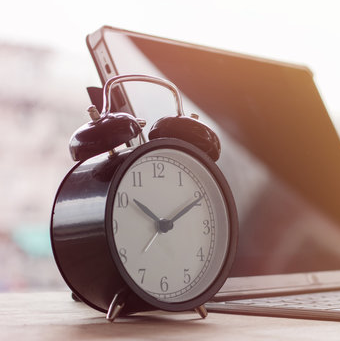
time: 10:10
